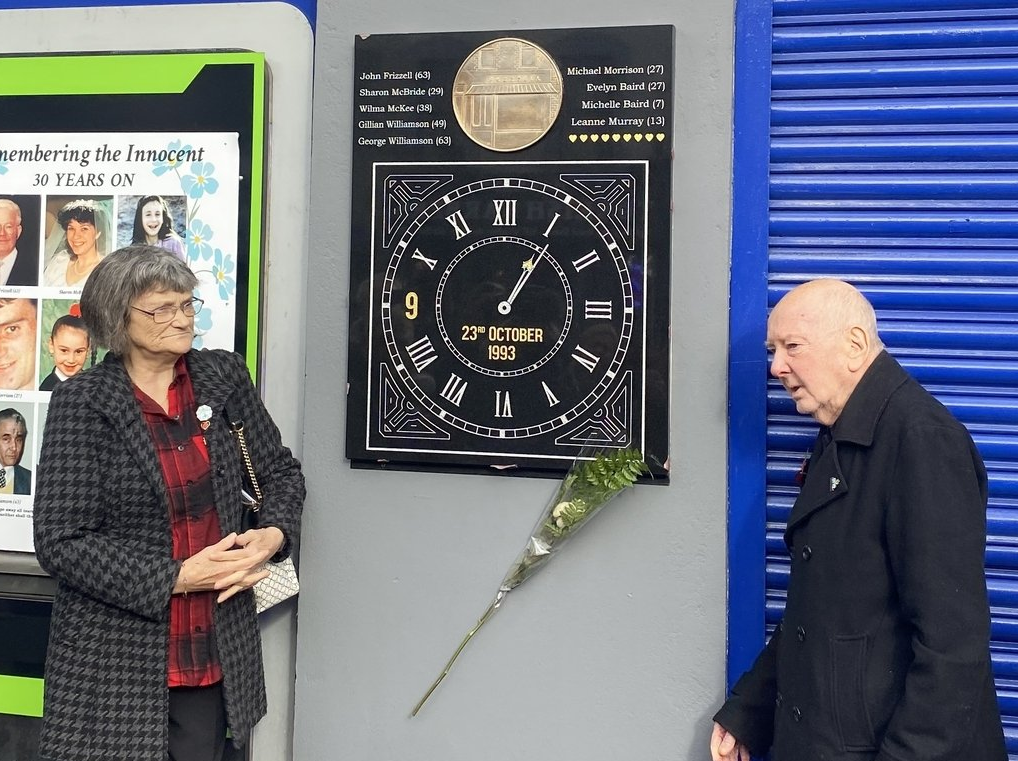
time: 1:05
